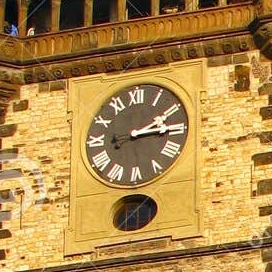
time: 2:14
